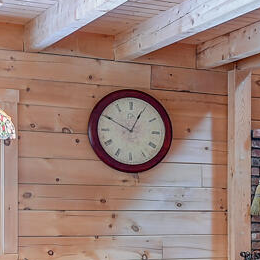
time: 12:49
